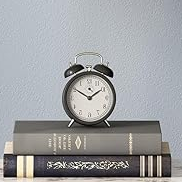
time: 1:50
